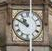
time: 10:50
